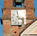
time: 3:58
